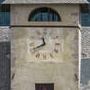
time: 11:40
